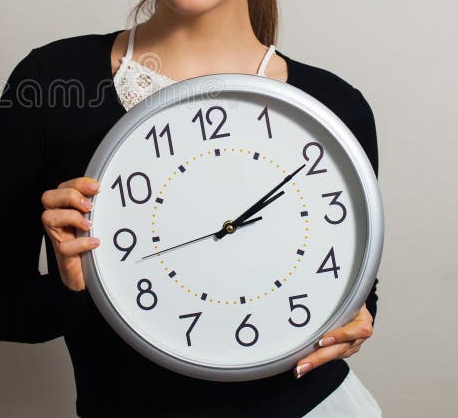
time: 2:09
